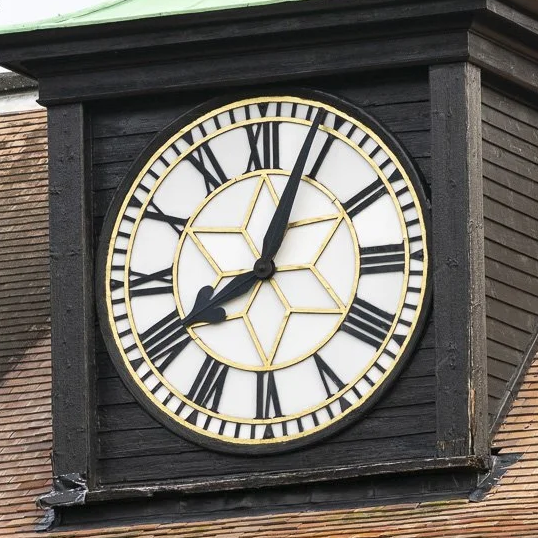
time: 8:03
